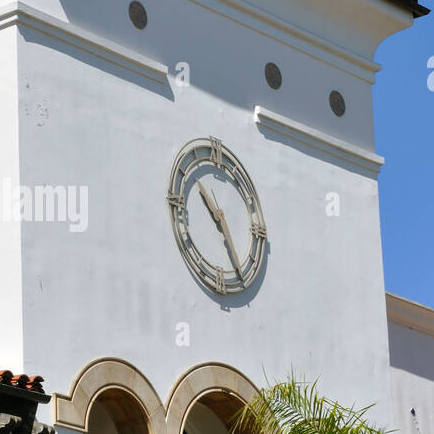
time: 10:24
